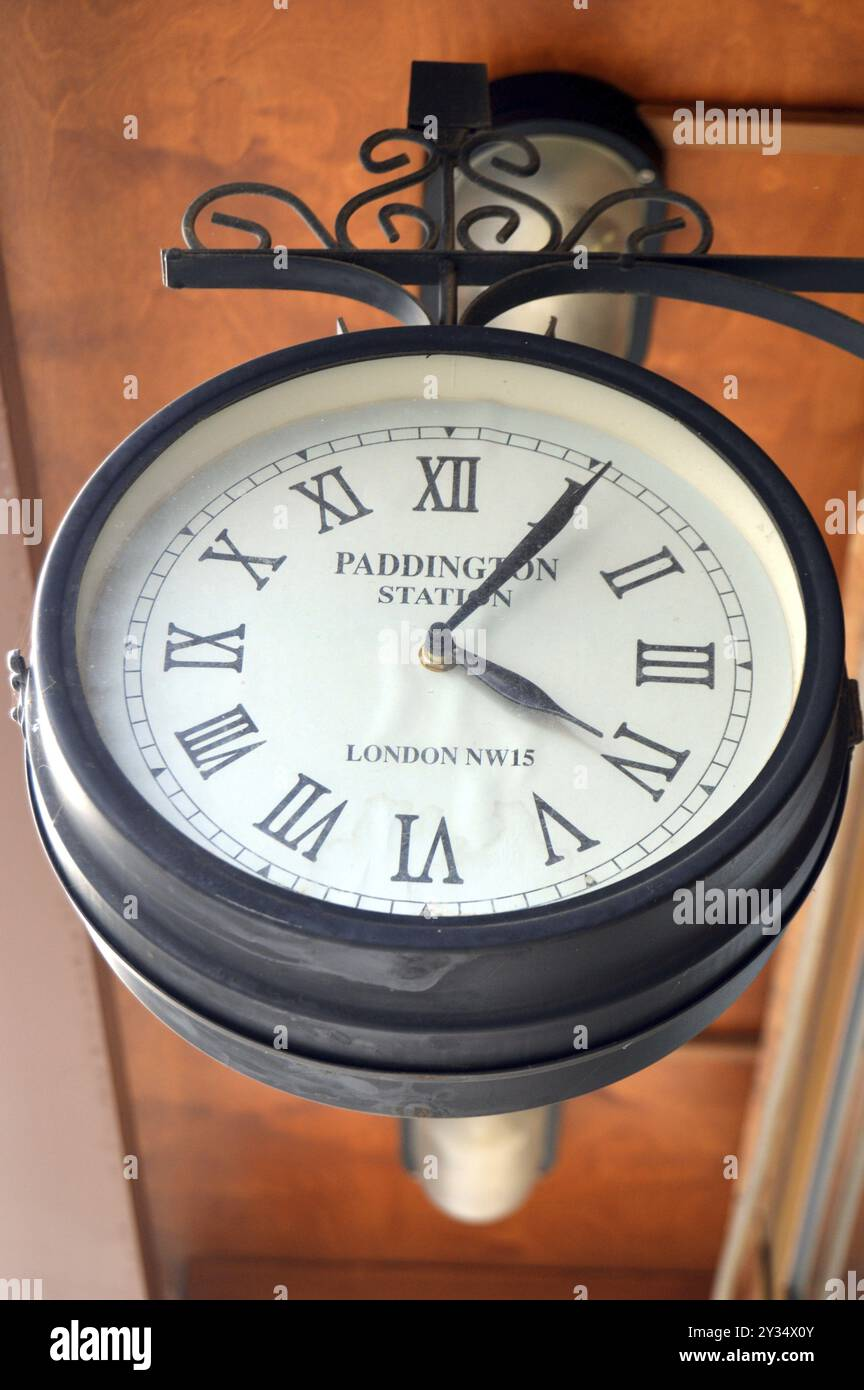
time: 4:05
